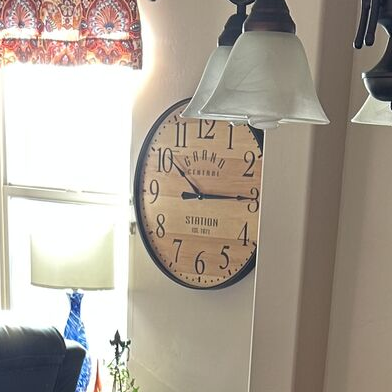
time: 10:14
